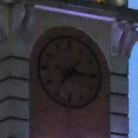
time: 7:15
